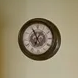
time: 6:55
